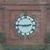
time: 2:45
